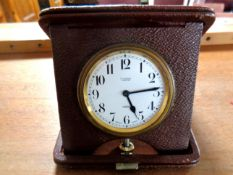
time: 5:13
